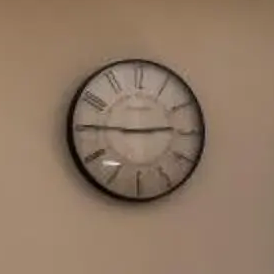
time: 2:45
